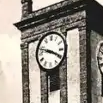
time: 3:47
